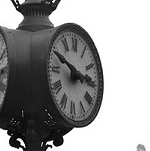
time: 2:49
